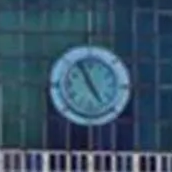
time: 4:56
